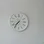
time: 7:36
